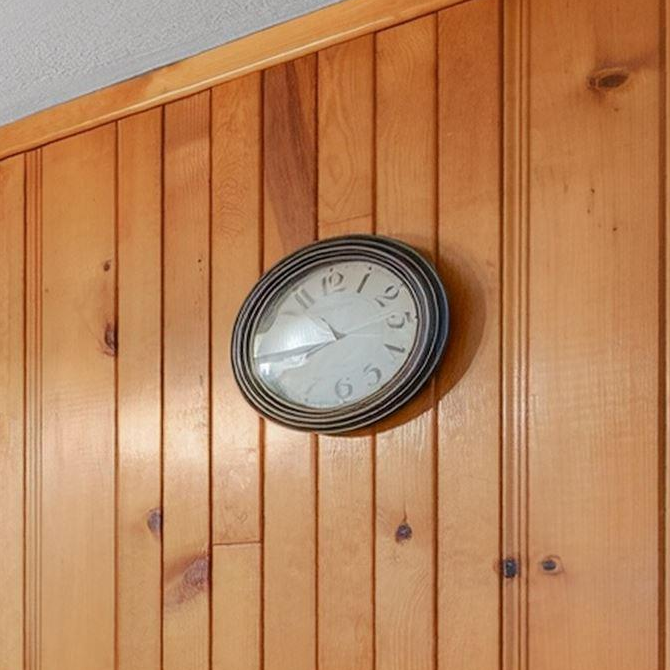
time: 10:43
